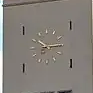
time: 10:14
